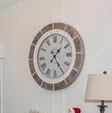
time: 1:24
